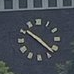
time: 10:22
